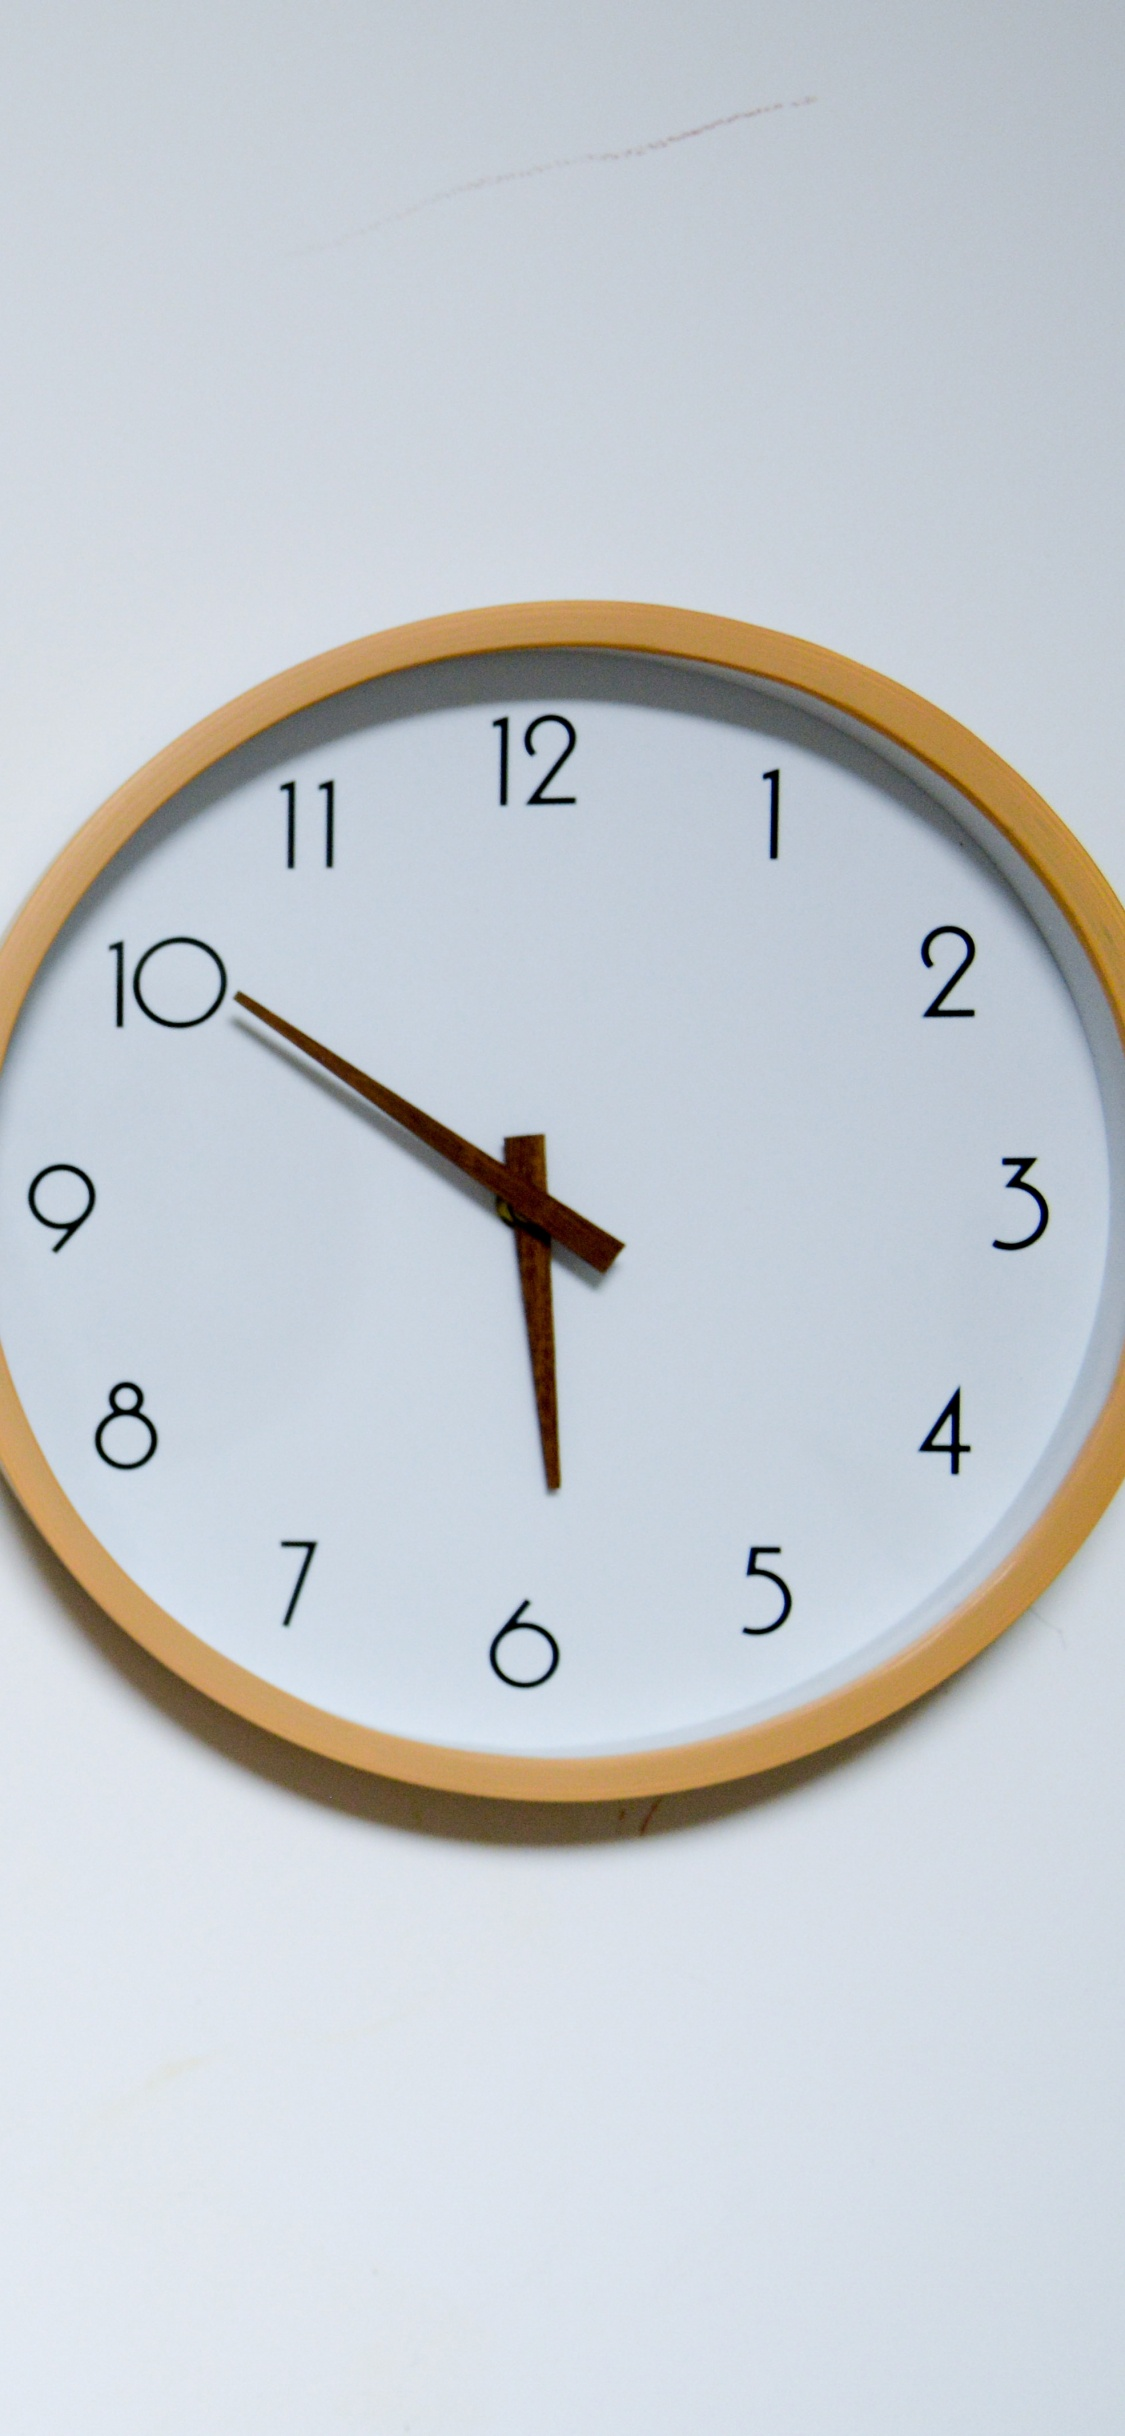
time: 5:50
